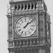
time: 1:08
